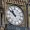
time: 10:51
